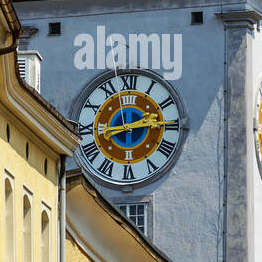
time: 2:42
